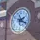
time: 2:19
